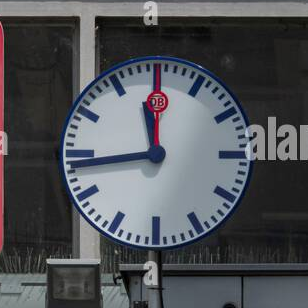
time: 11:43
